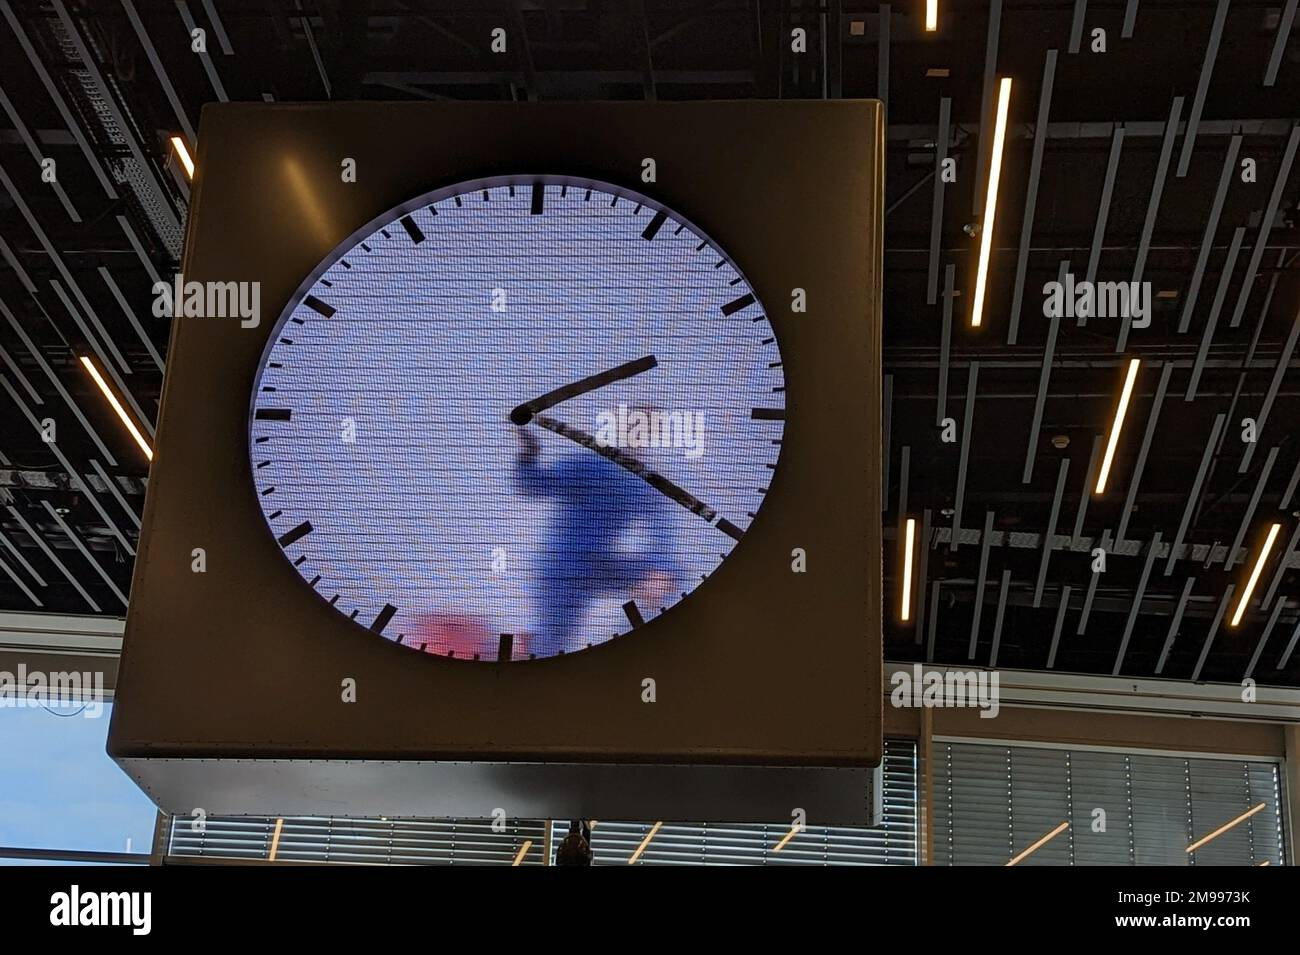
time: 2:19
